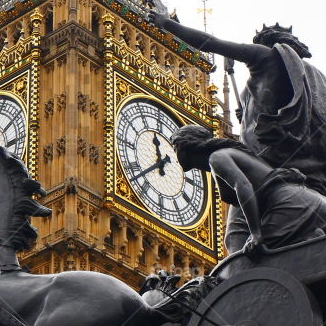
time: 11:38
